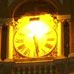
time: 5:28
